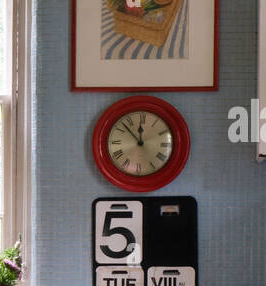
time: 11:52
